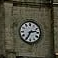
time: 2:34
